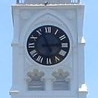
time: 2:56
